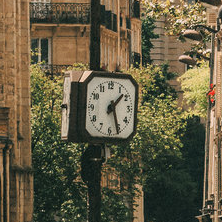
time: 1:26
